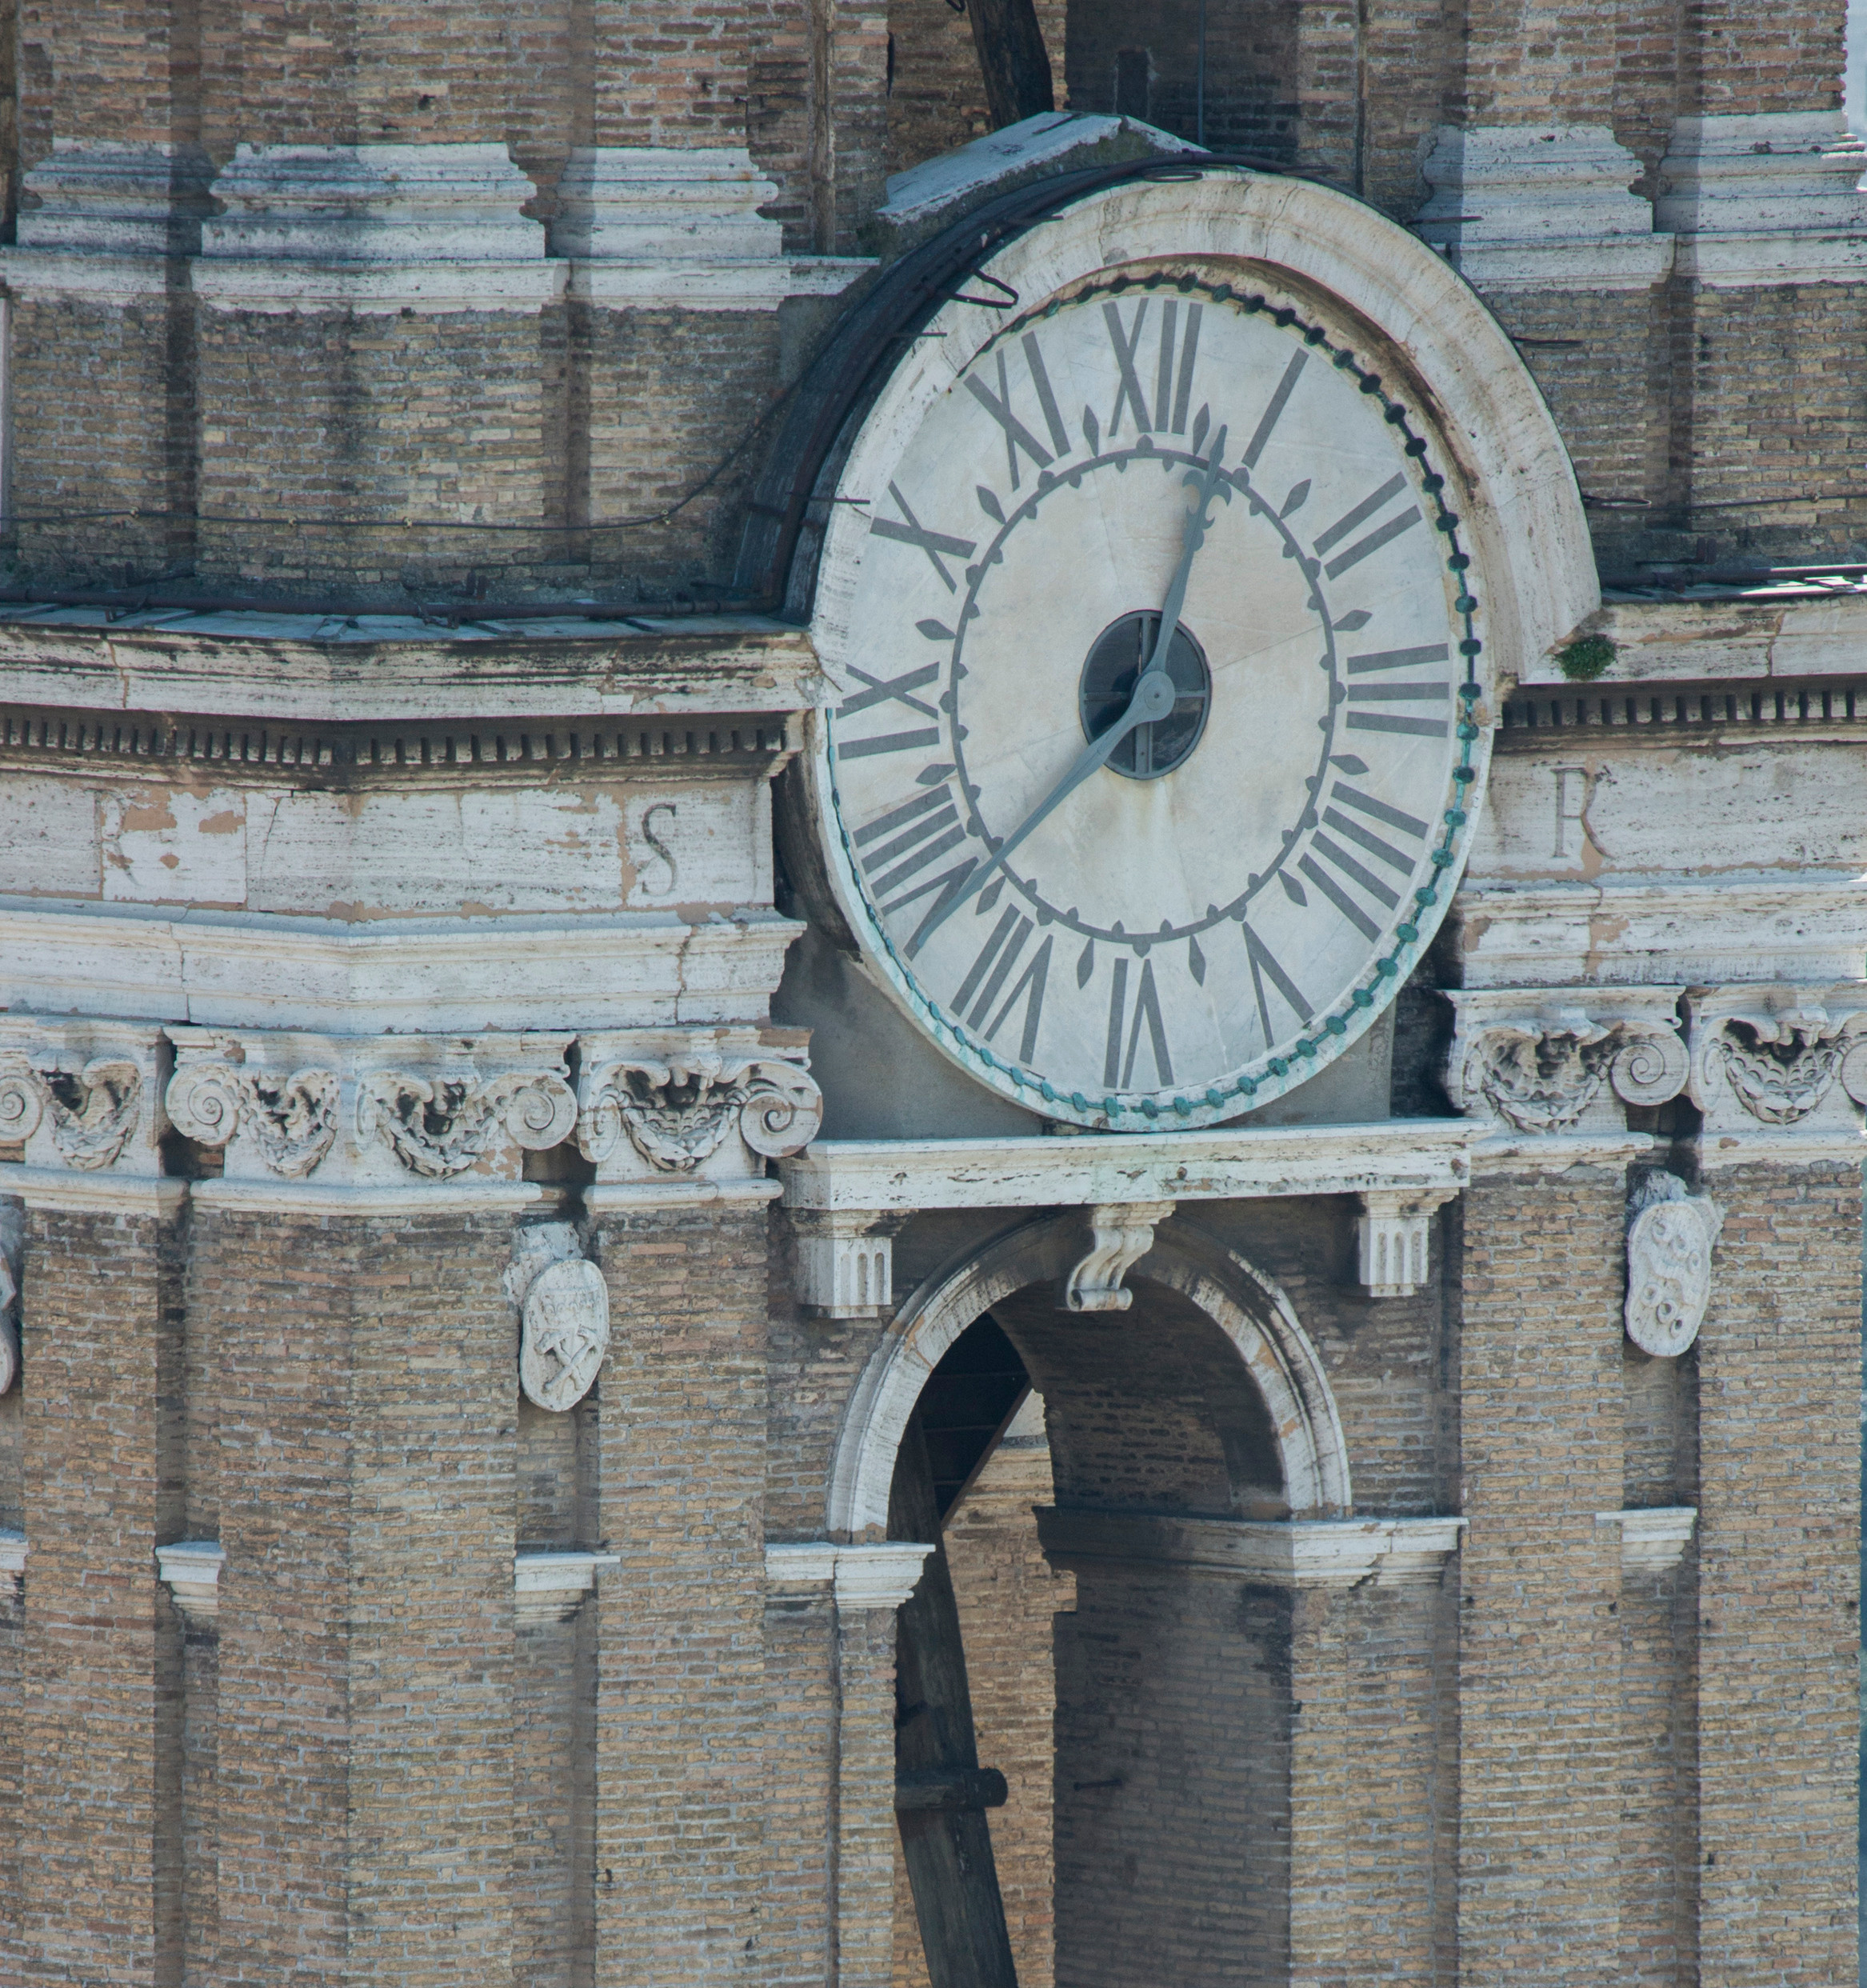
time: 12:37
